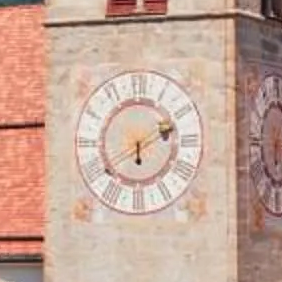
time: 6:11
